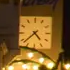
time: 4:38
